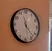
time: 11:22
